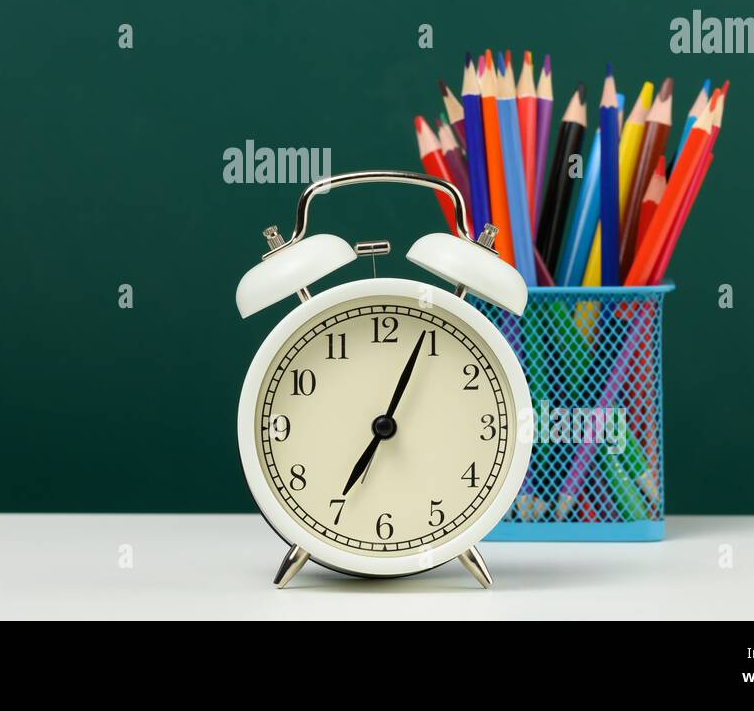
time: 7:04
